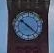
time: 10:21
